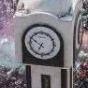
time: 6:49
